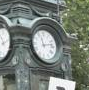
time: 11:12
